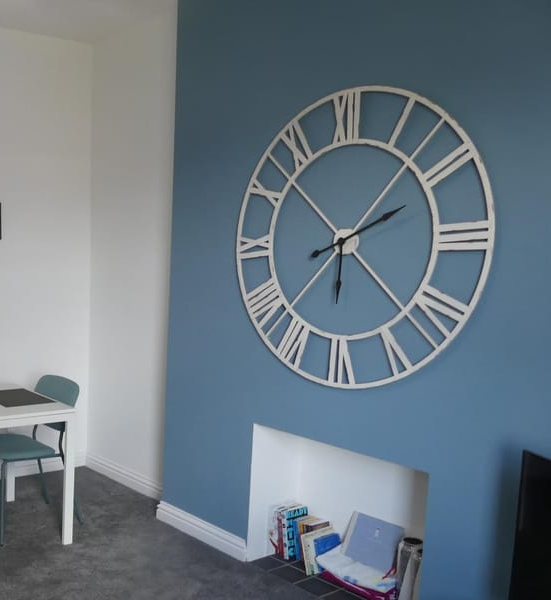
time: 6:10
